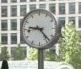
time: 9:23
